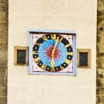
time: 6:03
